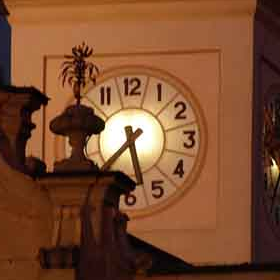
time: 5:38
